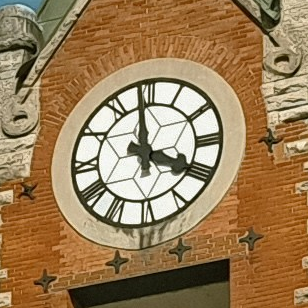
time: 3:58
